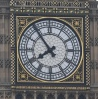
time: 7:53
